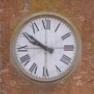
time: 9:50
